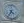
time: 4:34
